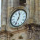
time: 12:34
